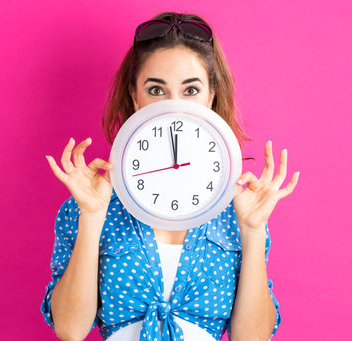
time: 11:58
